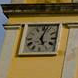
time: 5:02
